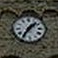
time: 1:35
